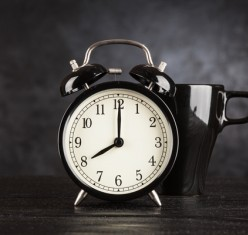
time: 8:00
